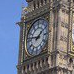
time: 1:46
